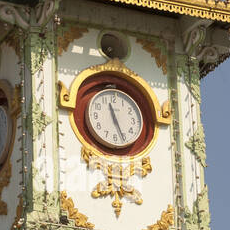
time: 11:26
